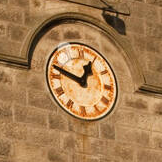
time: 12:47
